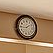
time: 1:43
